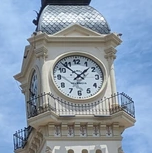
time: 1:52
